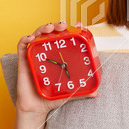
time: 5:49
